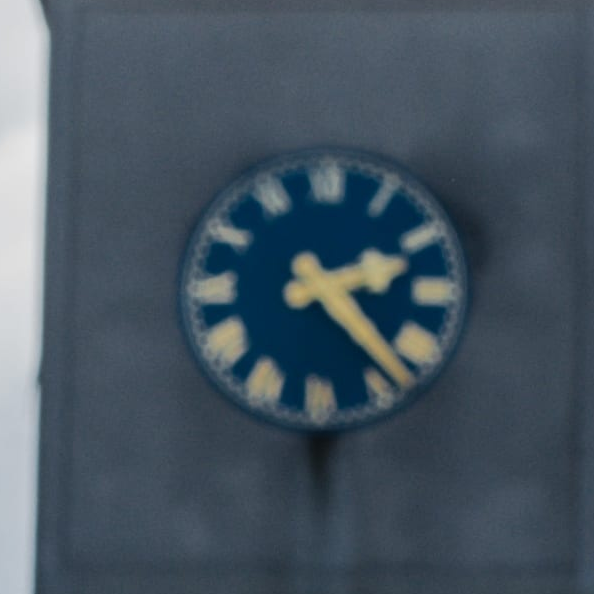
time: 2:22
